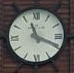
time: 11:19
